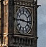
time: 9:16
